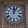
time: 12:04
